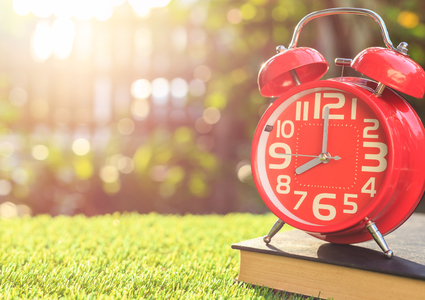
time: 7:59
